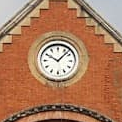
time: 10:07
